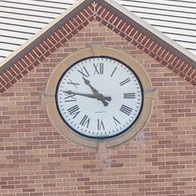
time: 10:46
